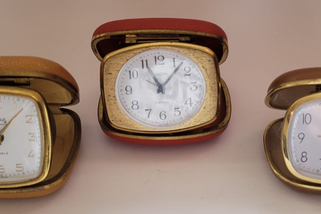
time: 11:07
